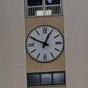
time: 12:49
